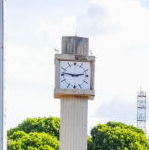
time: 2:46
